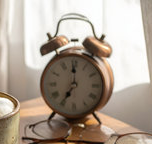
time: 7:00
